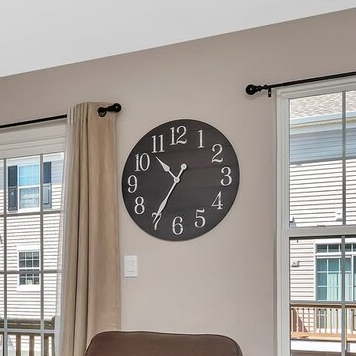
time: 10:35
